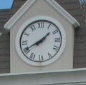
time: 1:40
